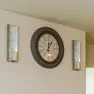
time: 12:05
